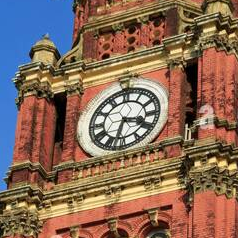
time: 3:32
